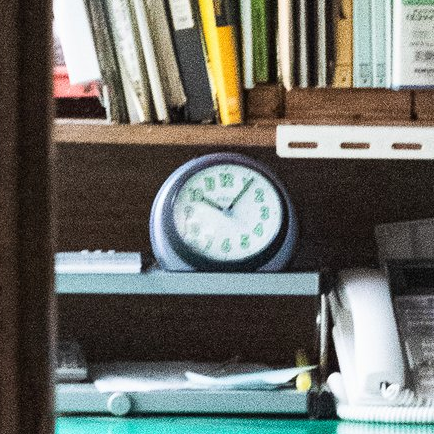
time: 10:06
